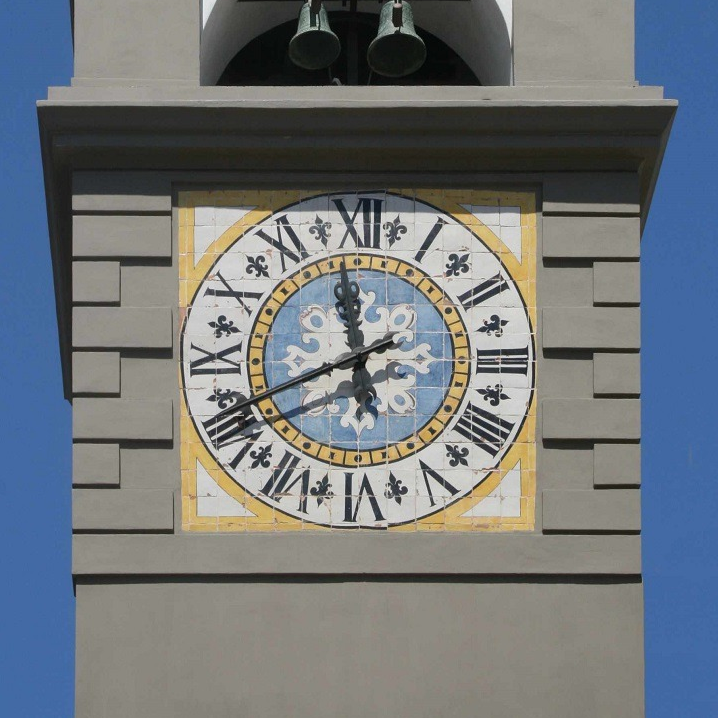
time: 11:40
